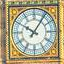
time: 10:05
